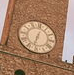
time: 12:32
